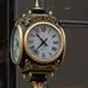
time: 10:37
